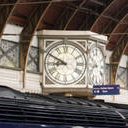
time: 8:49
